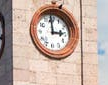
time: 2:58
